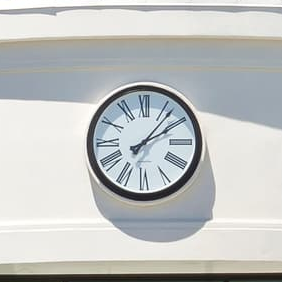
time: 2:06
